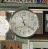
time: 11:20
